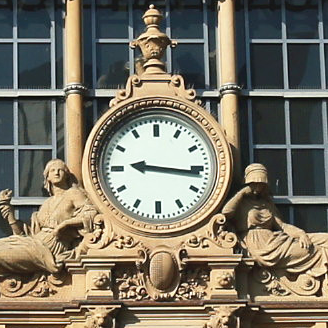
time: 9:16
